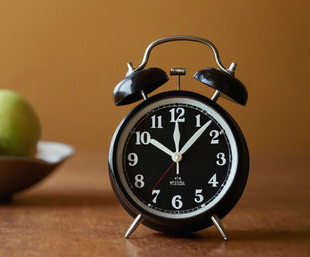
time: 10:07
